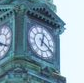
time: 12:19
